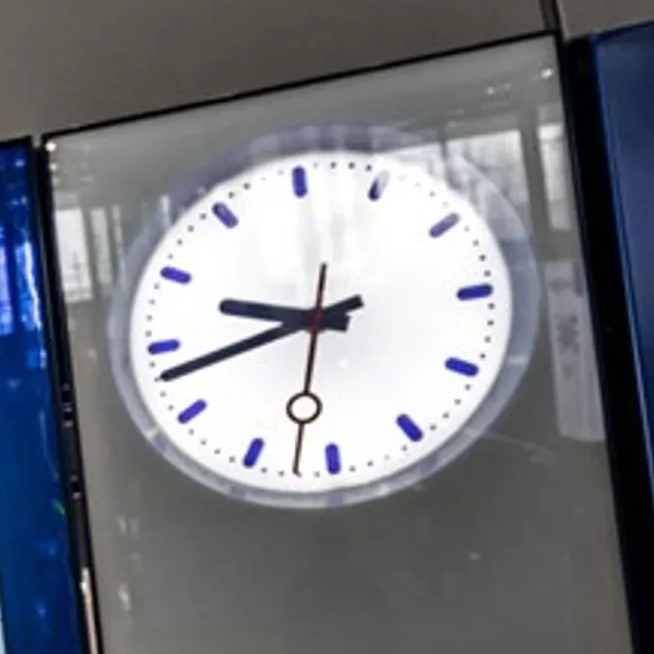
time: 9:43
